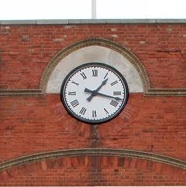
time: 1:17
